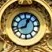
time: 12:42
